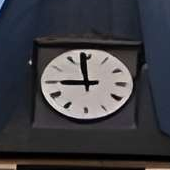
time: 8:58
